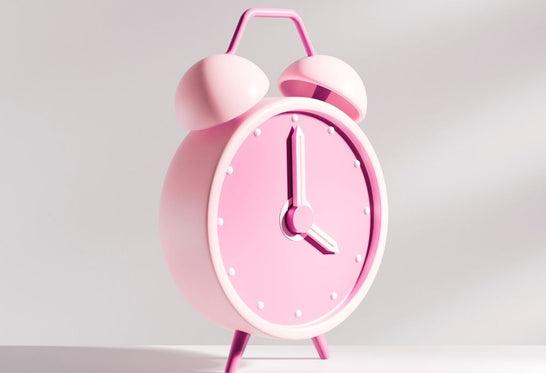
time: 4:00
